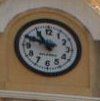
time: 10:48
